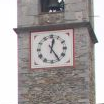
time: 12:24
